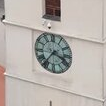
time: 3:36
